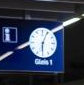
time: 6:03
